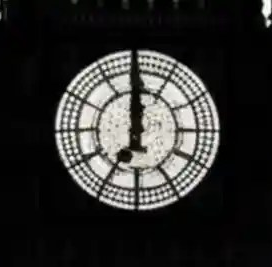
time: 6:59
